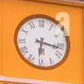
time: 6:16
